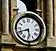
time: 5:41
